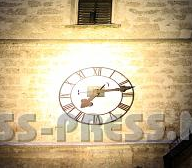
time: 7:13
